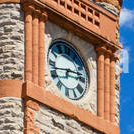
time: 2:42
